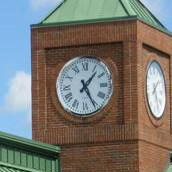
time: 1:25
